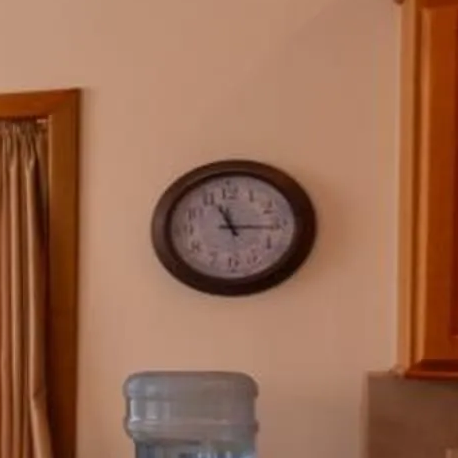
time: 11:15
